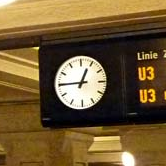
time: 12:45
